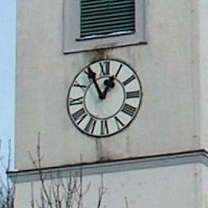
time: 12:55
